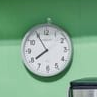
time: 7:55
